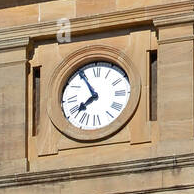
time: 7:54
